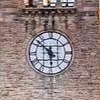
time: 5:51
